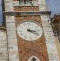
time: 3:21
